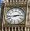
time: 2:43
